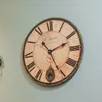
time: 2:25
